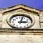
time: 3:02
